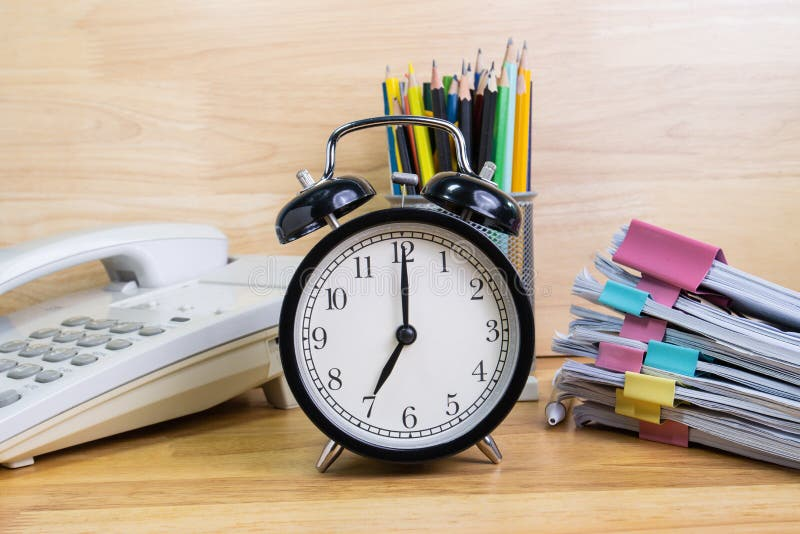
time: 7:00
